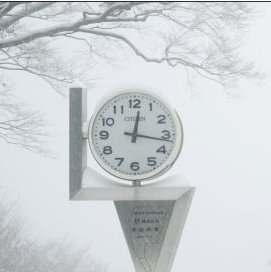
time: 12:16
